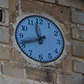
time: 11:41
